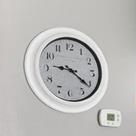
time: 9:20
